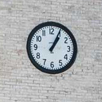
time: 1:04
